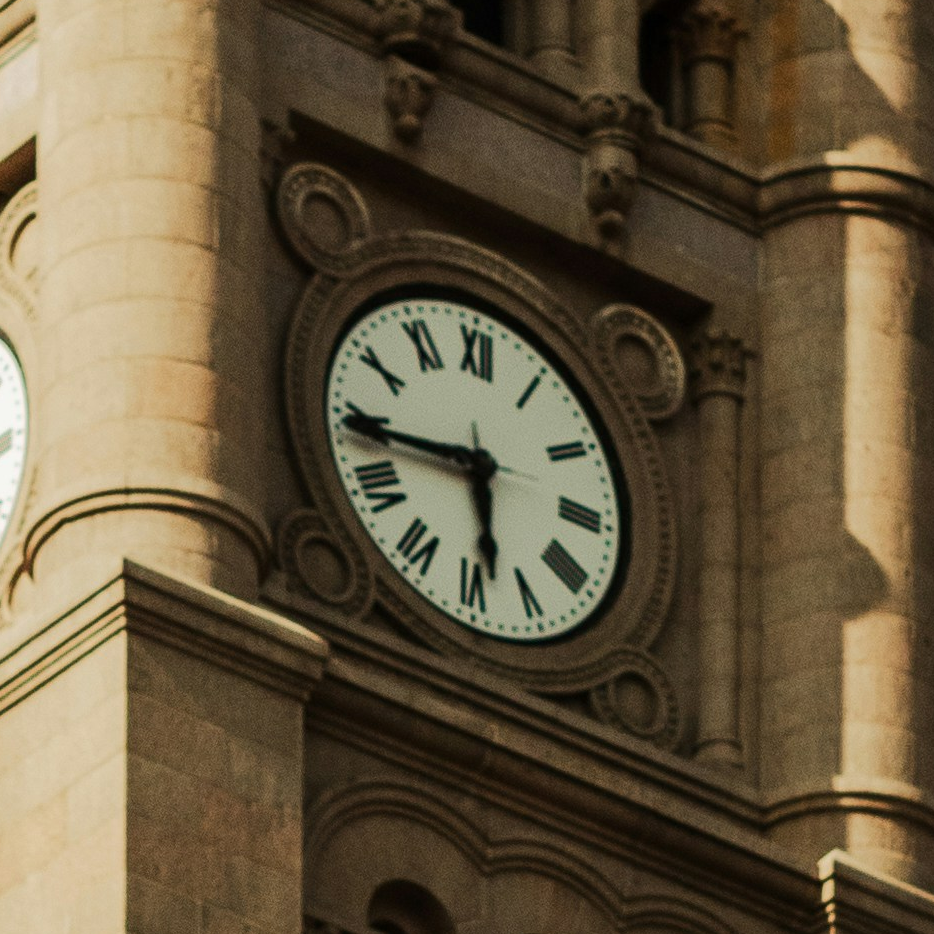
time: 5:44
